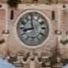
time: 11:42
